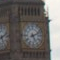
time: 5:11
